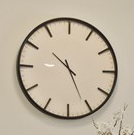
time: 10:25
